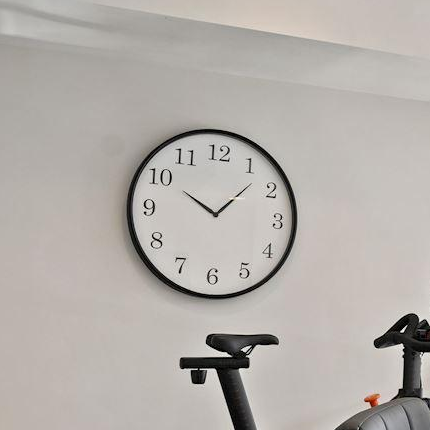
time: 10:07
